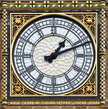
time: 1:11
